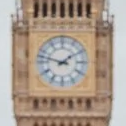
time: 1:47
